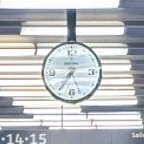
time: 7:15
